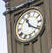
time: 11:21
